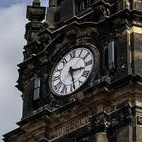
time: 3:29
